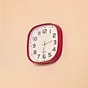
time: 6:13
